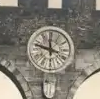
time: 11:47
